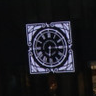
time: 6:15
